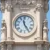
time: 11:24
